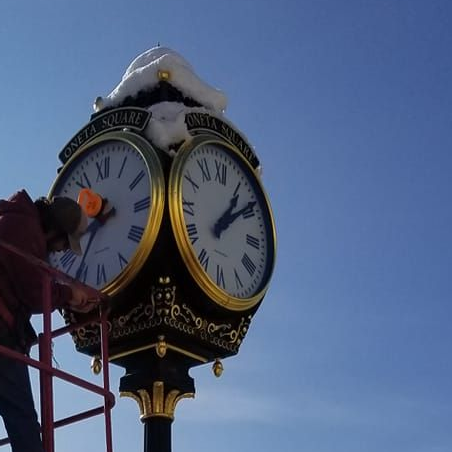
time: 1:08
